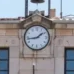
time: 1:43
